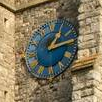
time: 1:13
